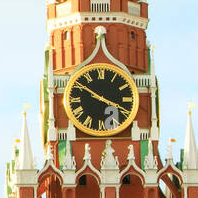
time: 3:50
